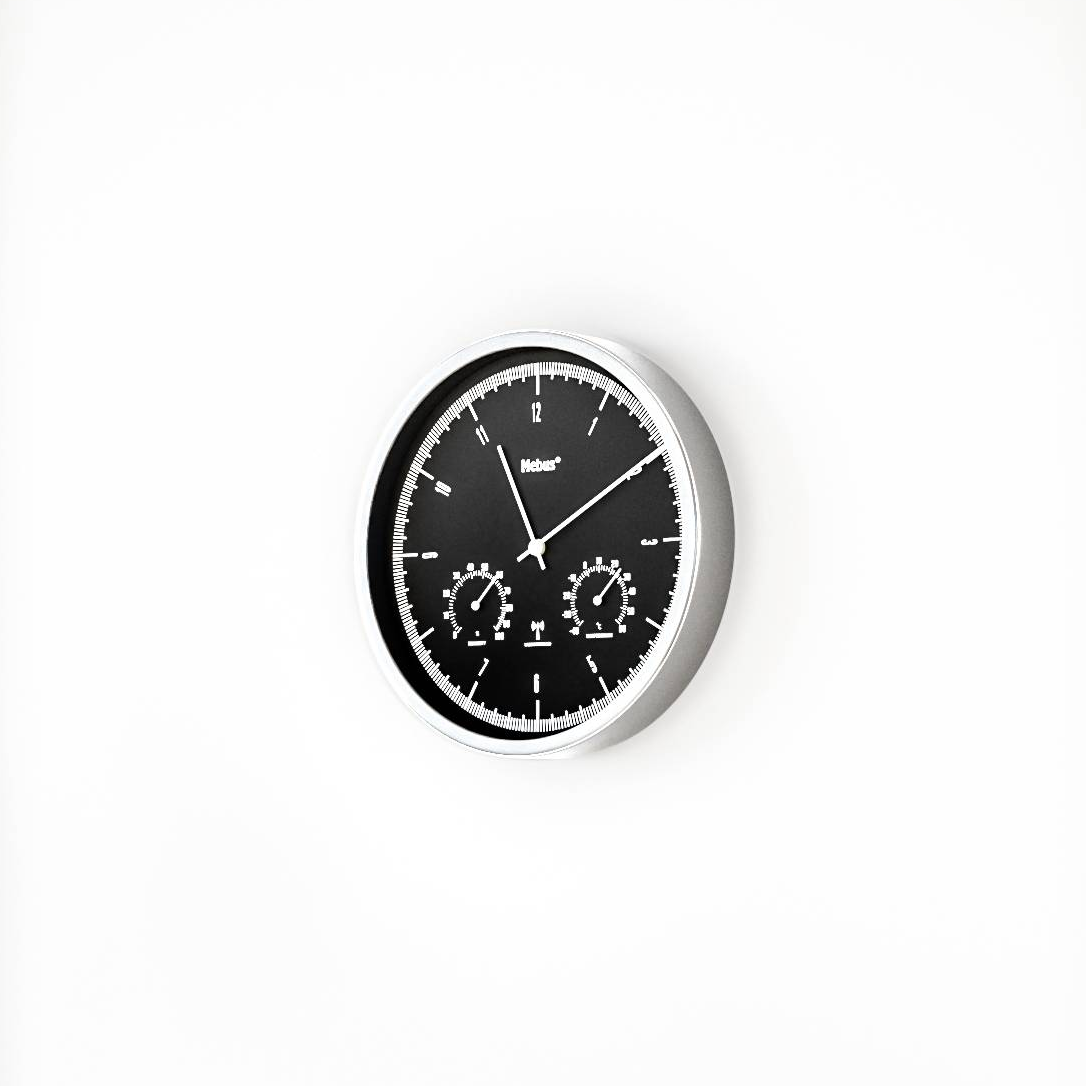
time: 11:09
